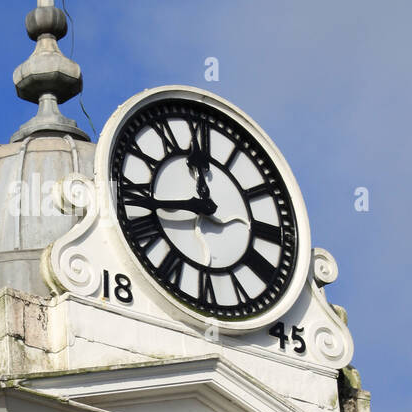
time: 11:42
